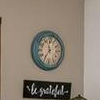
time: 11:35
